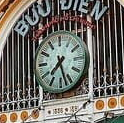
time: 7:27
